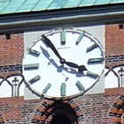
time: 3:55
